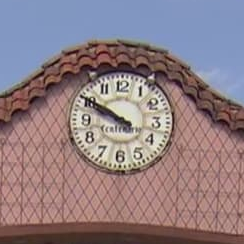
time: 9:50
